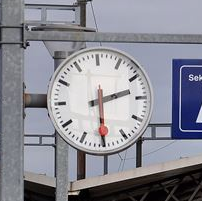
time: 2:30
